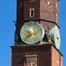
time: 7:37
